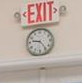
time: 9:23
